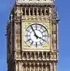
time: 3:55
